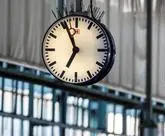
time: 6:56
